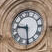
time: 9:29
